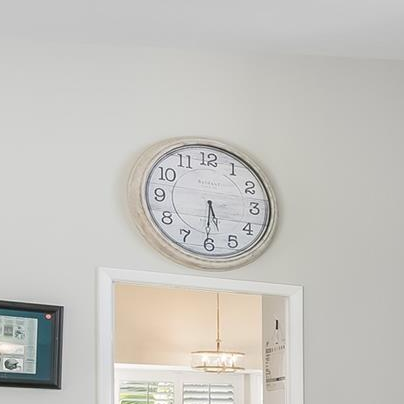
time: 5:30
